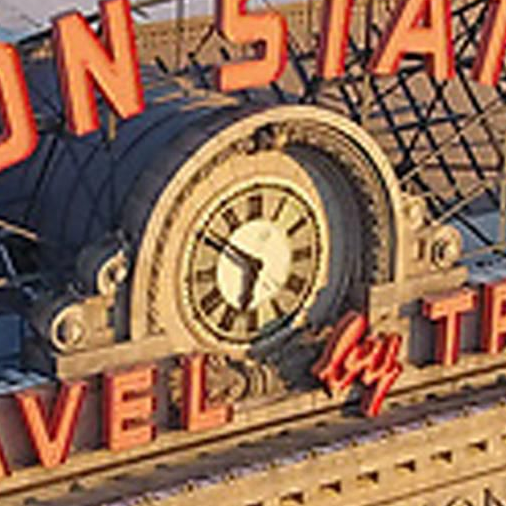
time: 6:50
